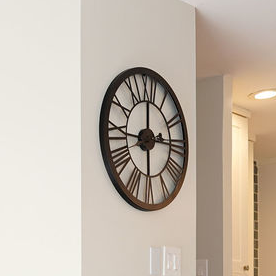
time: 2:59
